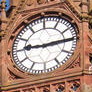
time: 9:14
